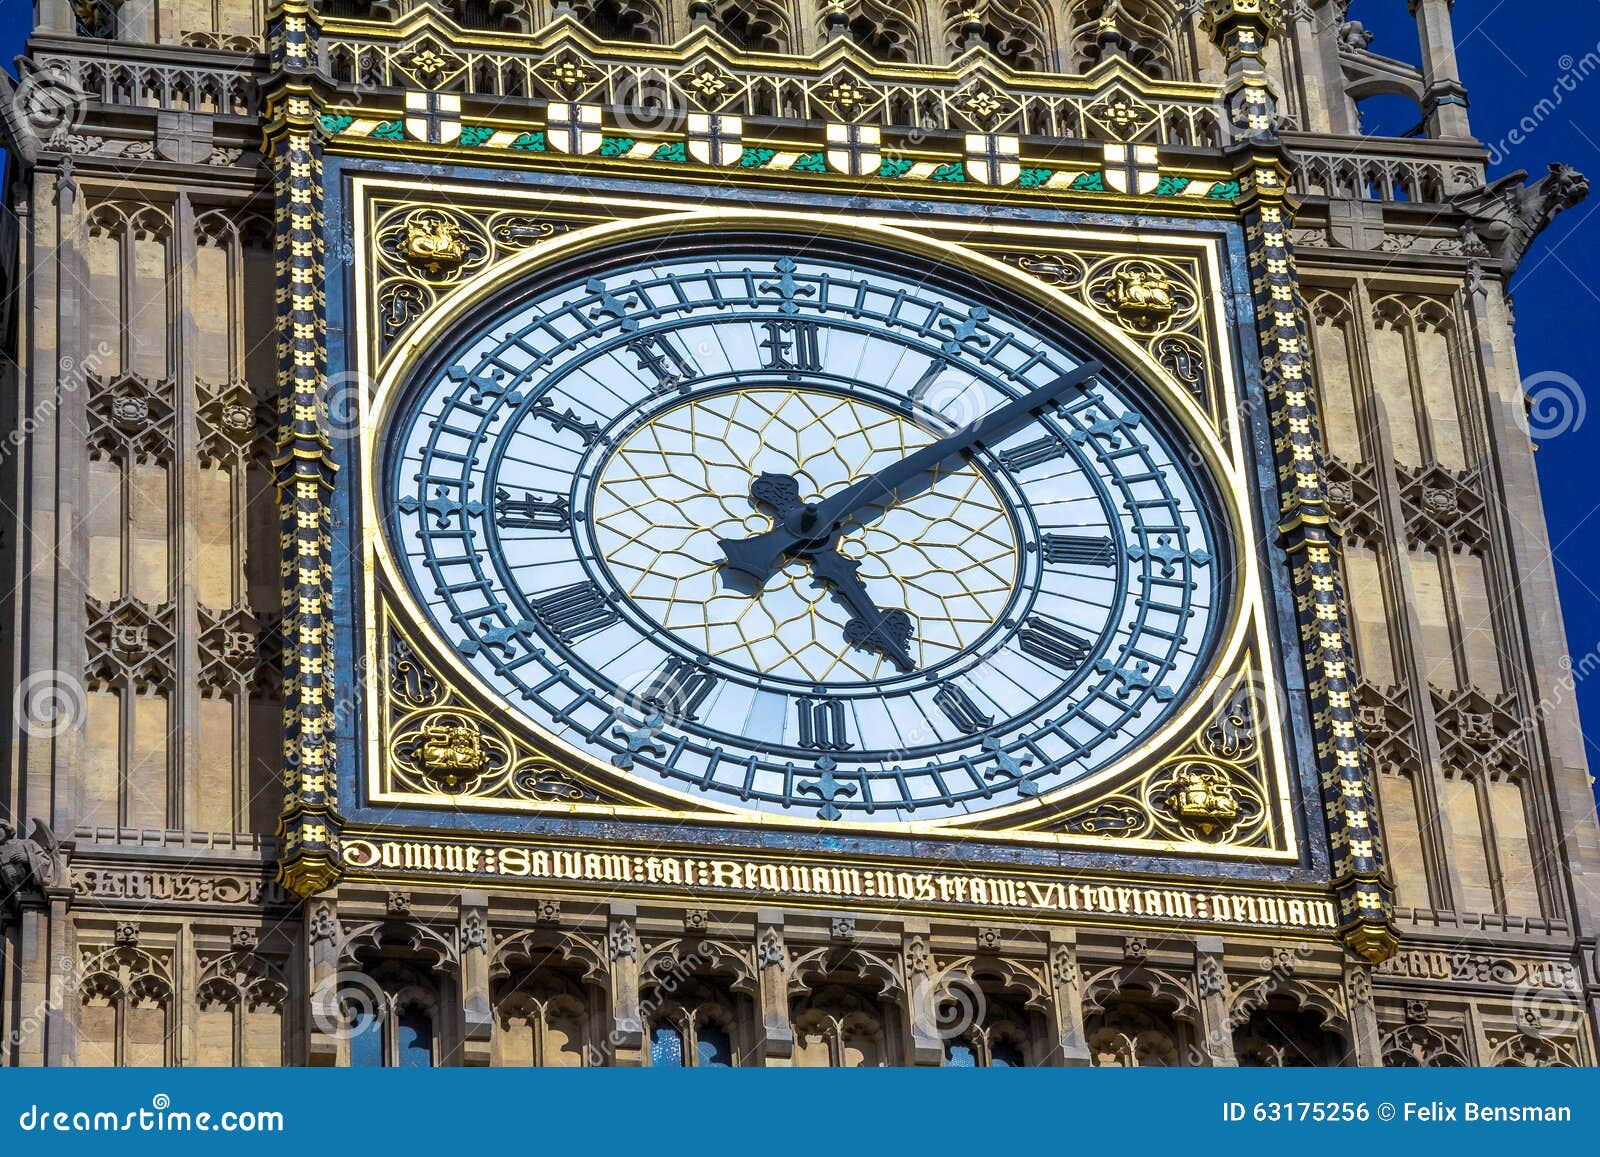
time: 5:08
